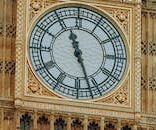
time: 11:26
